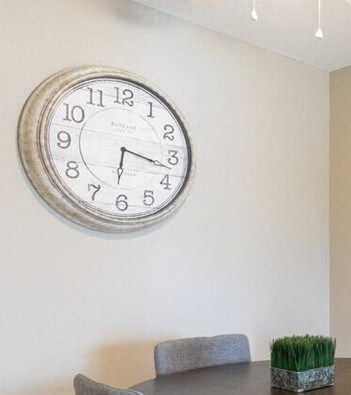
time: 6:17
